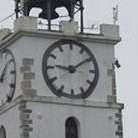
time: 9:09
